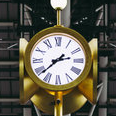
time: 2:38
